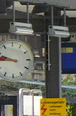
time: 9:45
